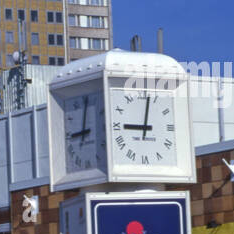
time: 9:01
